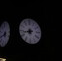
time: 11:43
